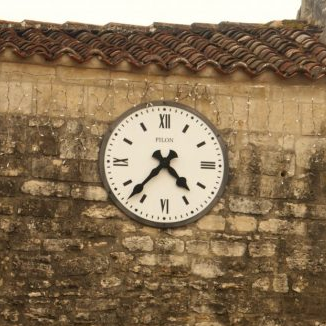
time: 4:37
